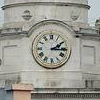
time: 2:15
